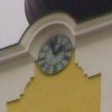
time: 1:57
